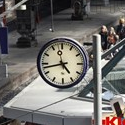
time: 4:42
